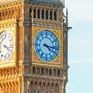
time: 4:16
